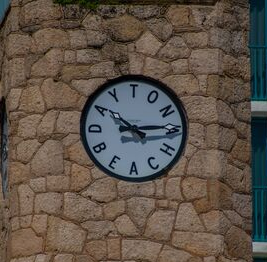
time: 10:14
